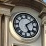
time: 5:08
